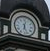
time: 12:26
